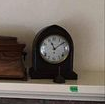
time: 11:09
